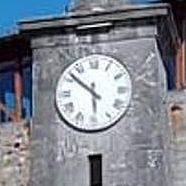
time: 5:51
